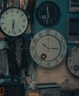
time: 10:15
